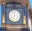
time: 7:00
